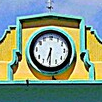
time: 6:29
